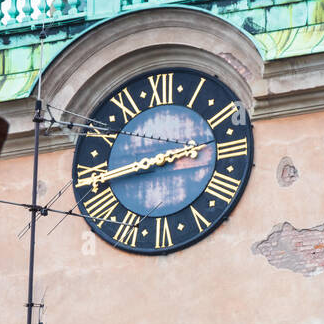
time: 2:43
